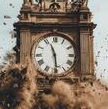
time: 11:28
